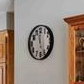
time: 11:25
